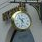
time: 10:32
